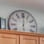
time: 6:00
